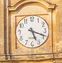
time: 5:18
